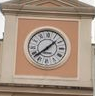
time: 1:38
